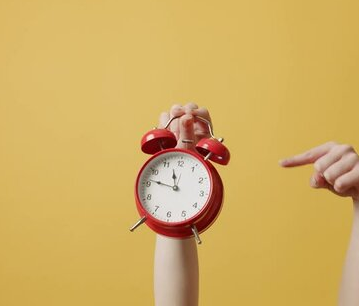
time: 11:46
